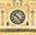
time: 10:23
